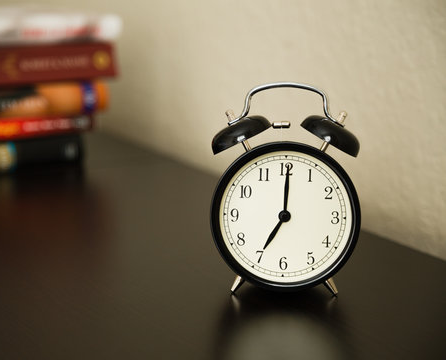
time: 7:00
